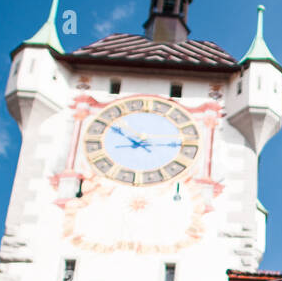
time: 10:14
